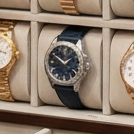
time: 1:50
